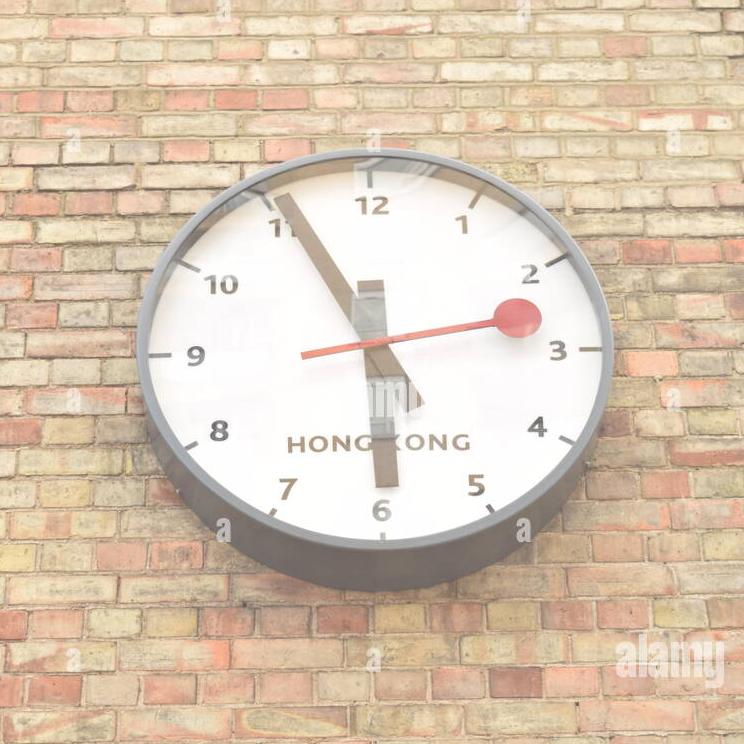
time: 5:55
